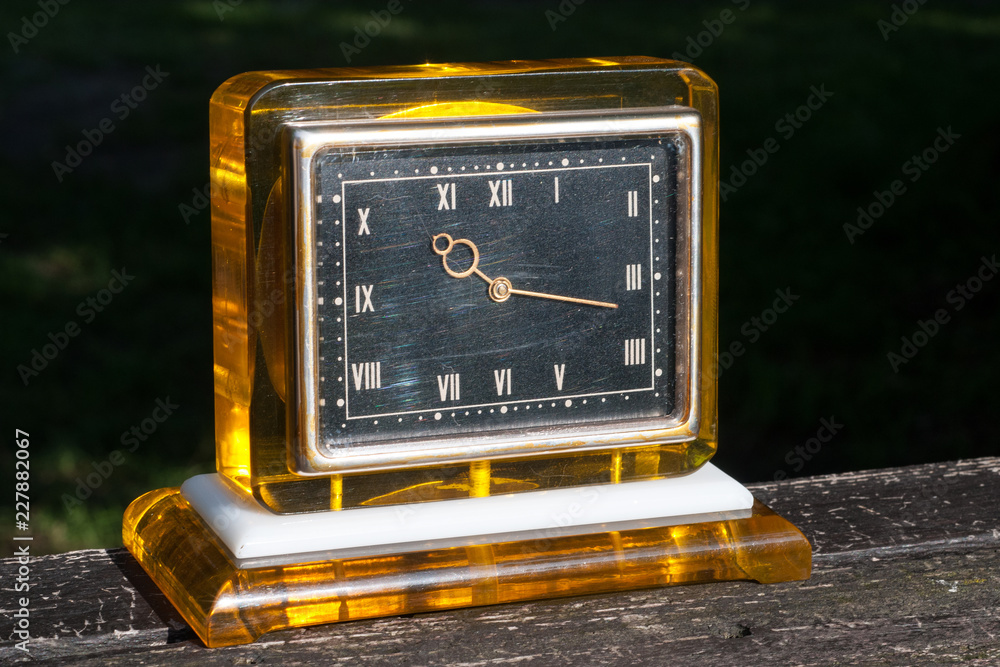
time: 10:17
